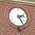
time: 2:24
